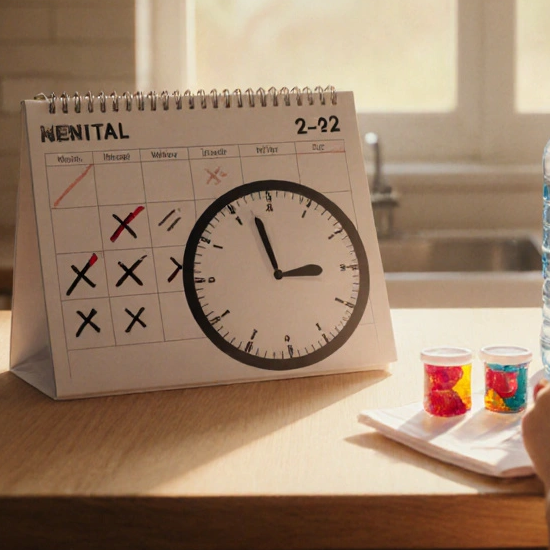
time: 2:57
